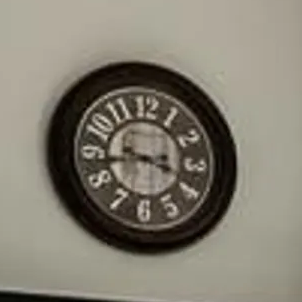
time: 3:43
